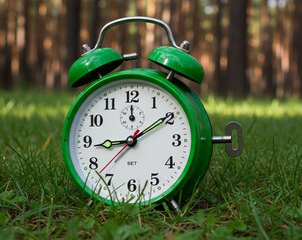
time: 9:09
